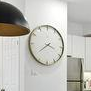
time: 3:39
